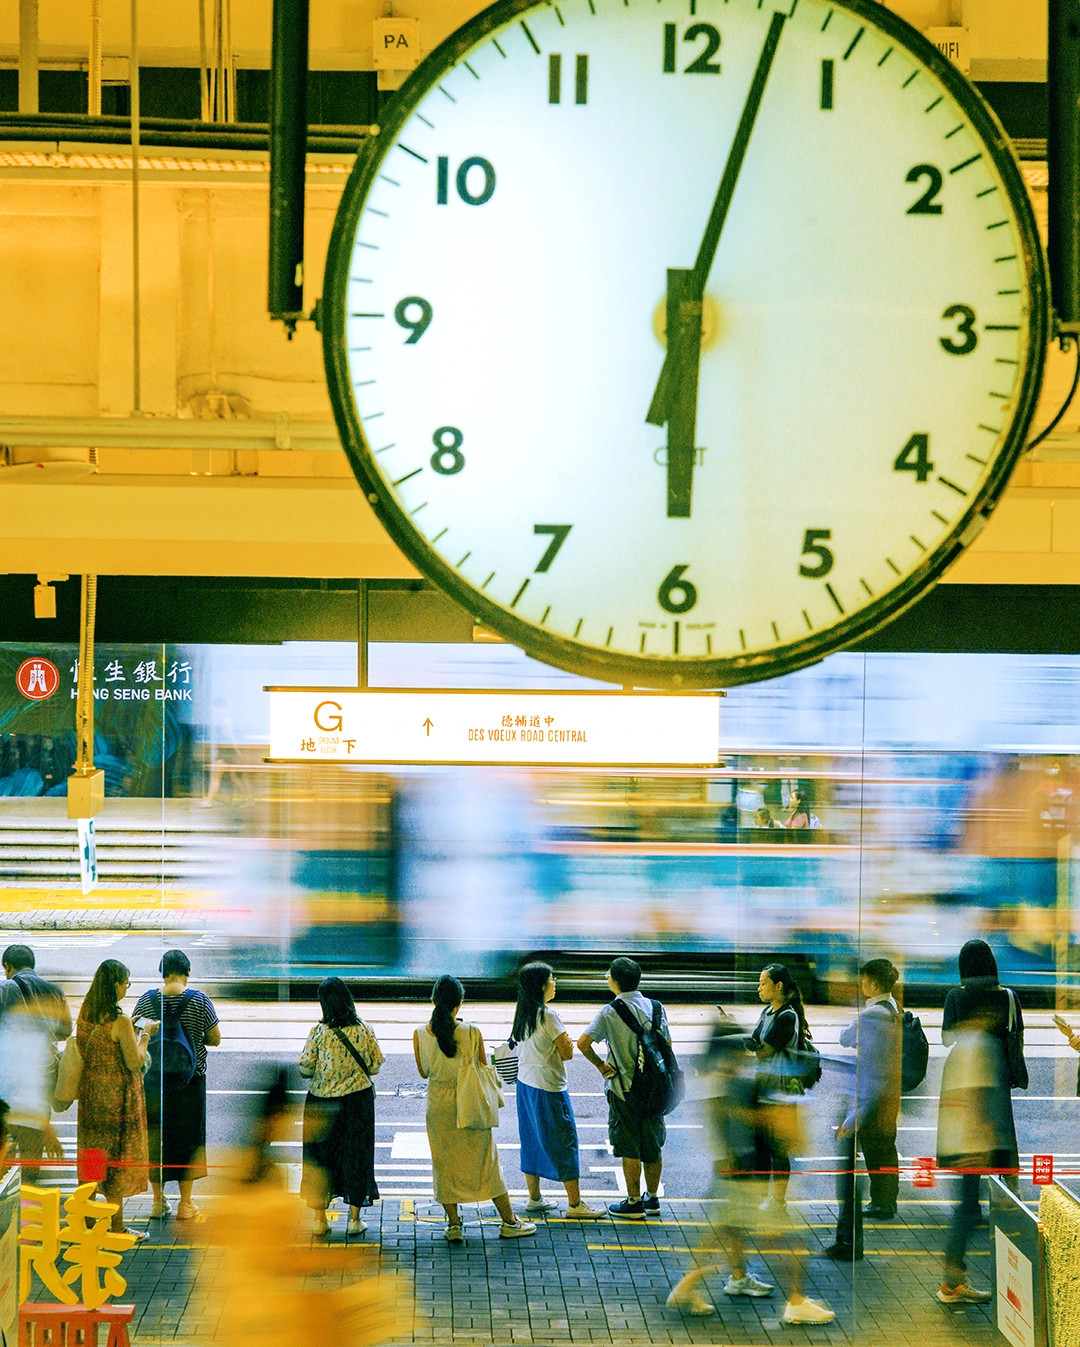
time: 6:02
